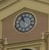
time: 10:56
